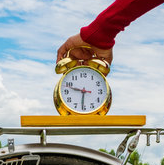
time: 9:31
